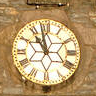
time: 10:58
